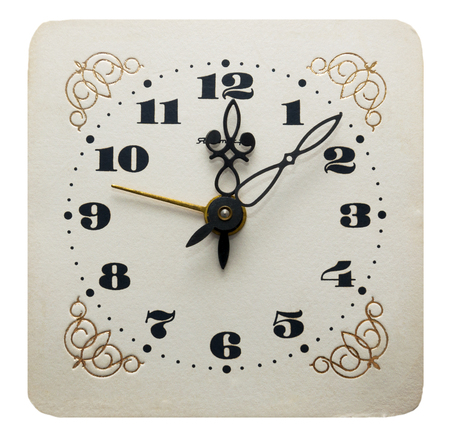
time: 12:07
